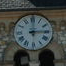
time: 3:00
